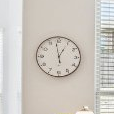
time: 12:58
